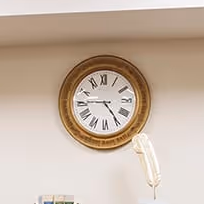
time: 4:45
